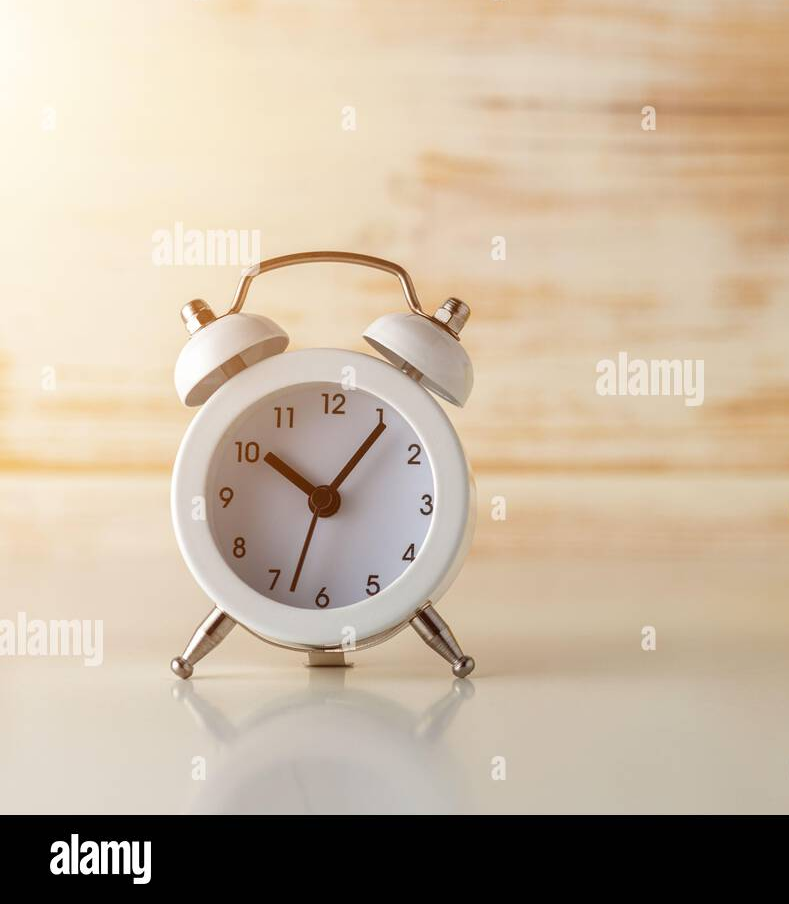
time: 10:06
